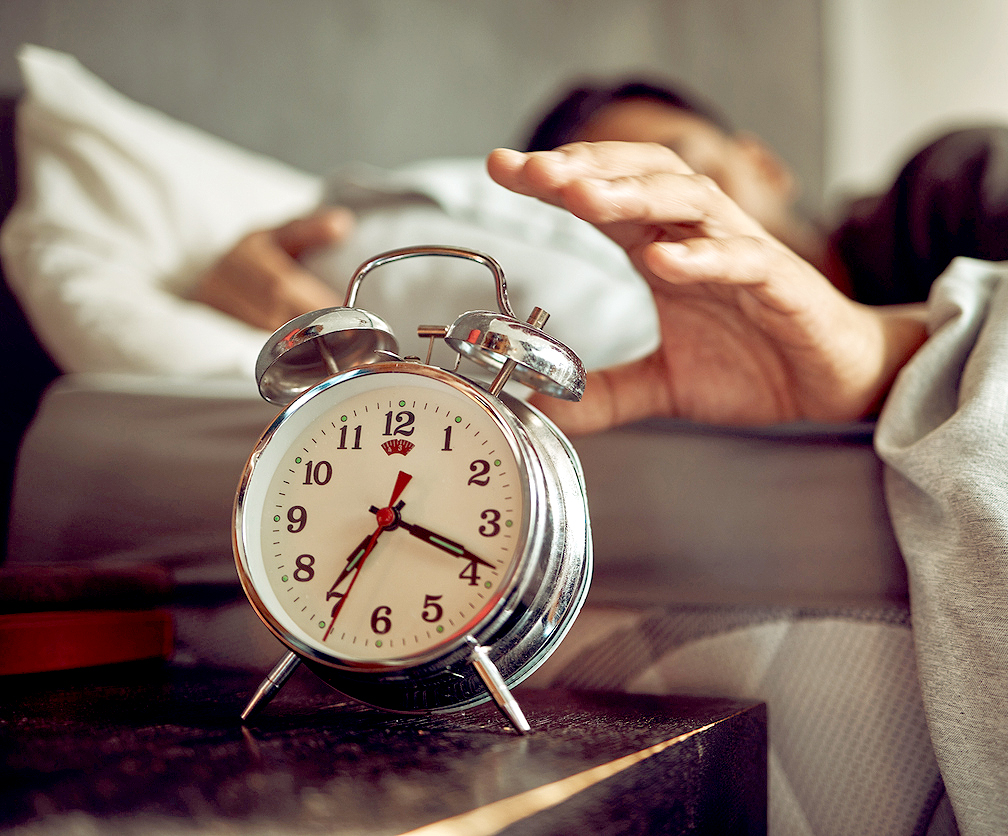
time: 7:18
